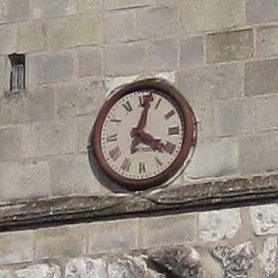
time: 4:02
